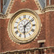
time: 6:08
